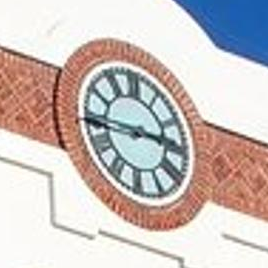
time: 2:44
